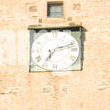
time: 7:12
